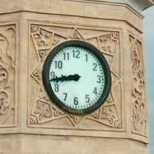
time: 8:43
